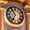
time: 6:54
